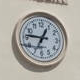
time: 12:46
